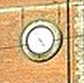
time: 4:23
